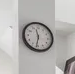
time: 11:31
